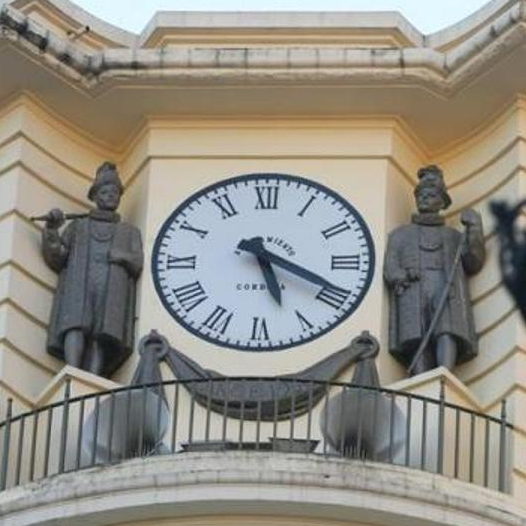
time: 5:19
